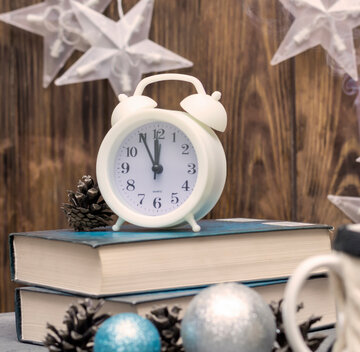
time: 11:55
